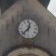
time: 12:37
